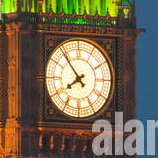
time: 7:53
